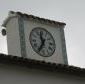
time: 11:35
